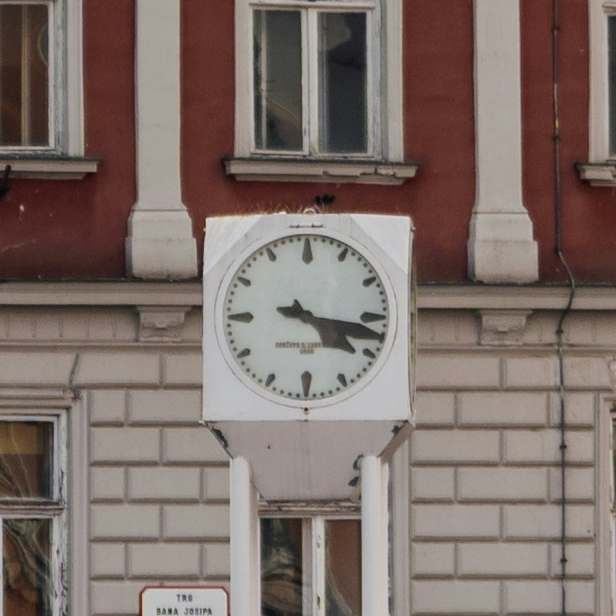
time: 4:17
